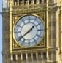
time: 1:39
